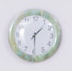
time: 1:29
